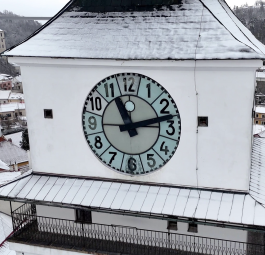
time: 11:12
